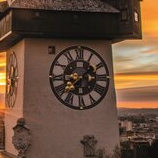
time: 1:37
